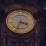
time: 3:35
